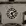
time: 5:09
